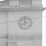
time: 7:59
